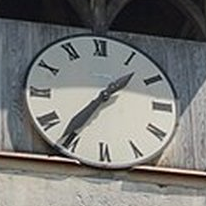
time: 1:36
